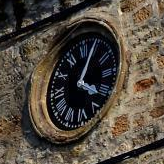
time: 4:04
